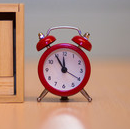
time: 11:54
